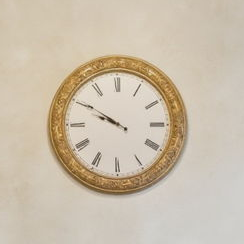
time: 9:50
